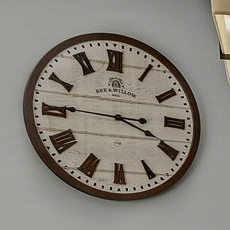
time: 3:45
